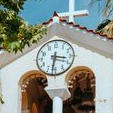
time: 3:31
